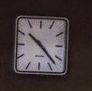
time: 10:22
